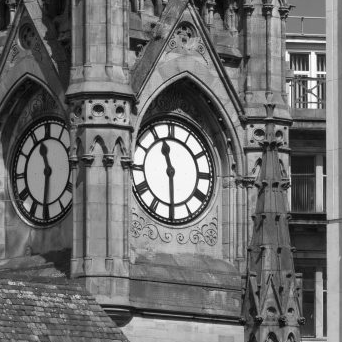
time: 11:29
